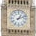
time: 1:11
